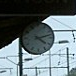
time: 4:12
